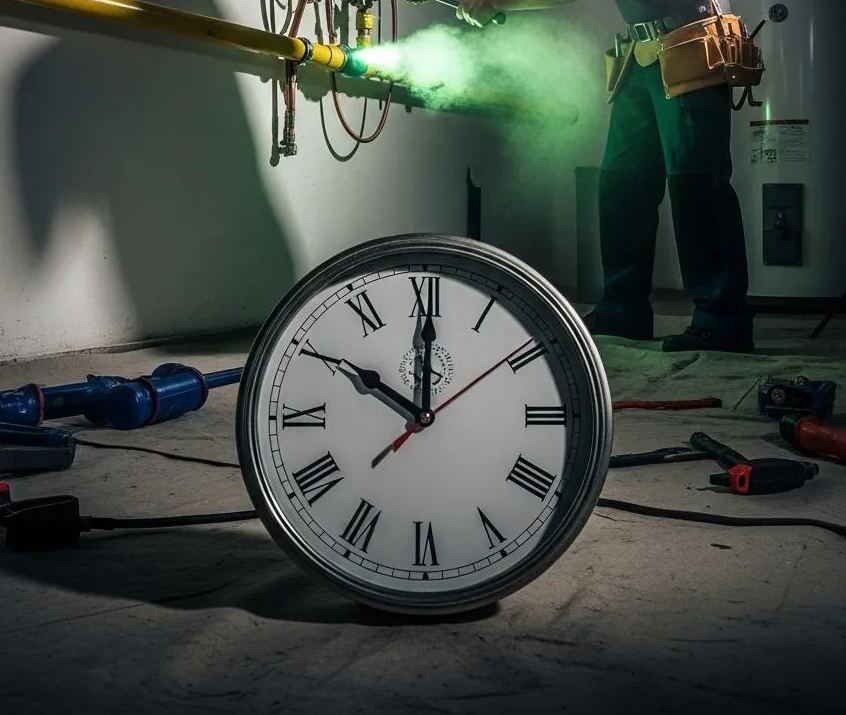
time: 10:00
